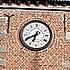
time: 6:40
